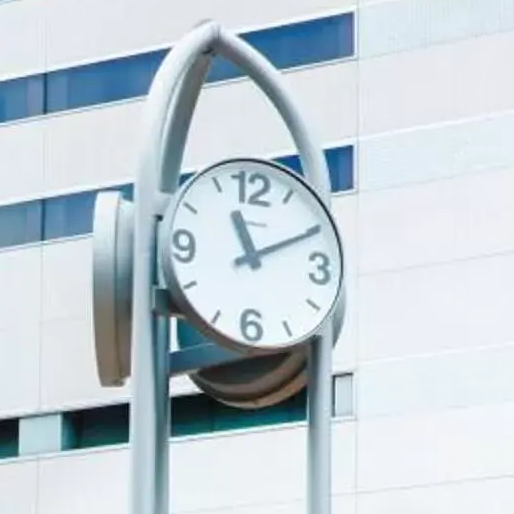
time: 11:10
